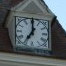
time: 7:00
